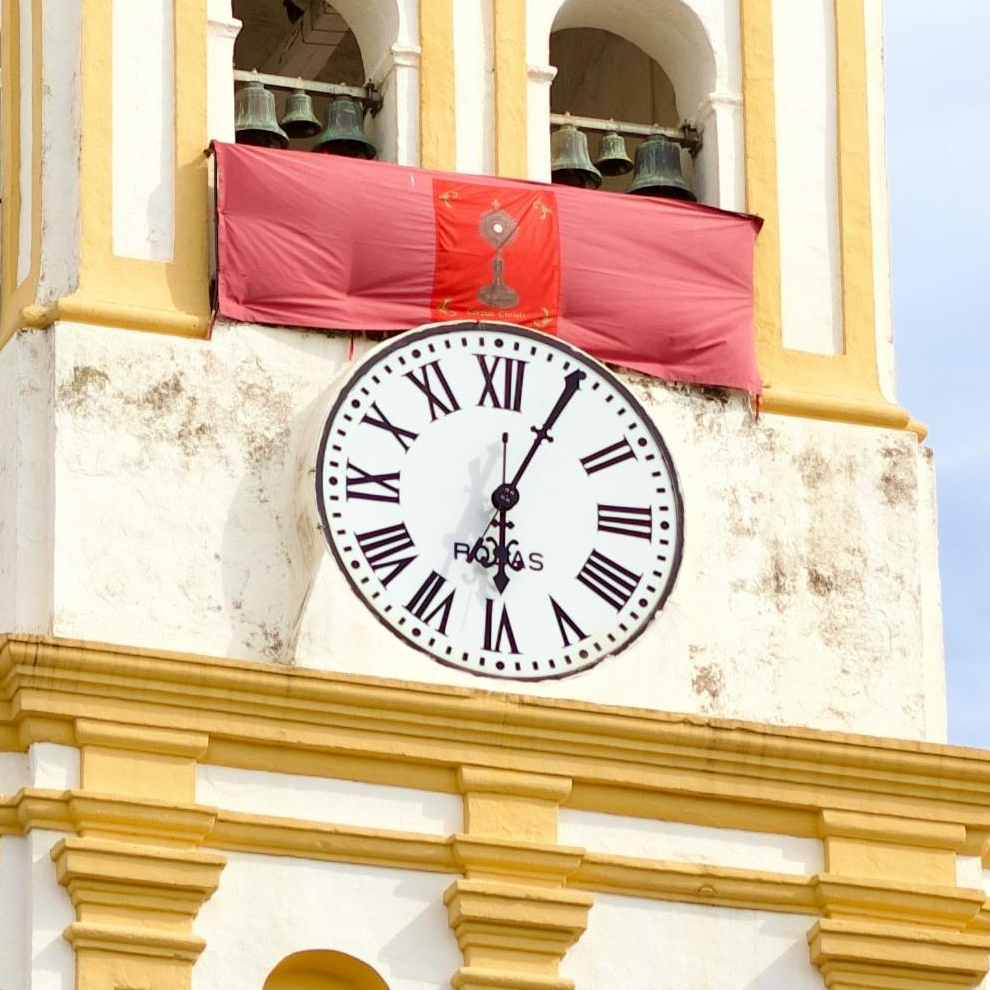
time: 6:04
